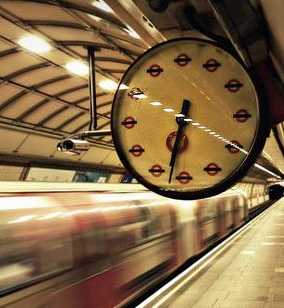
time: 6:32
